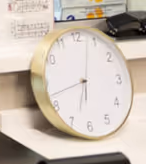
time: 6:42
